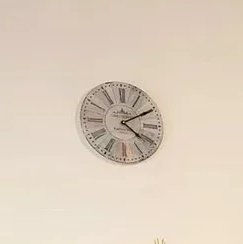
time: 4:10
